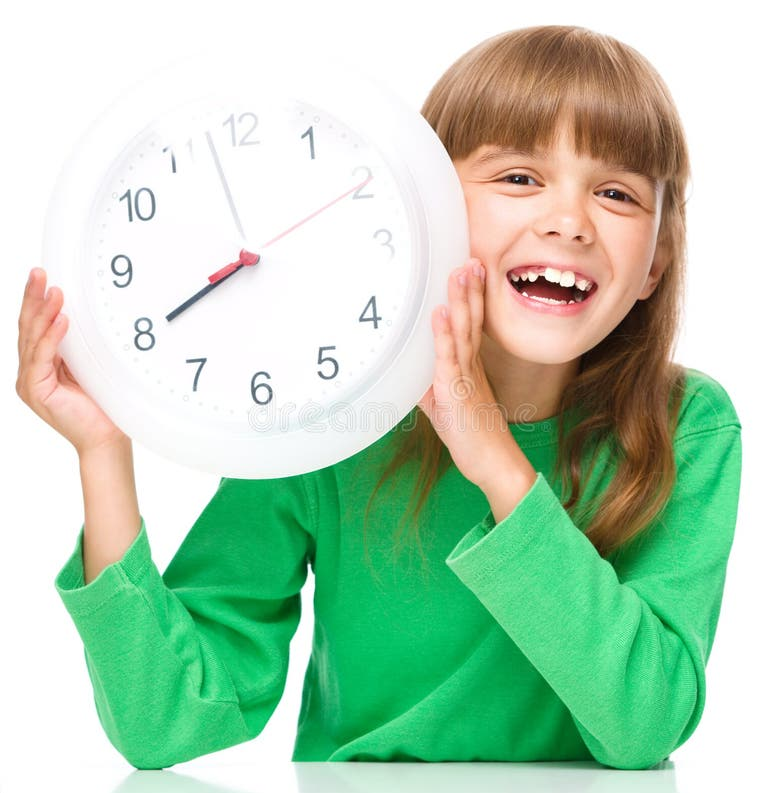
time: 7:57
